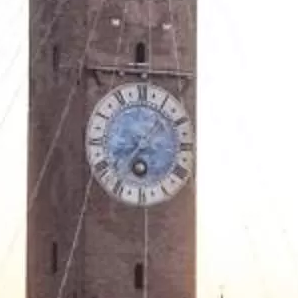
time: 7:07
